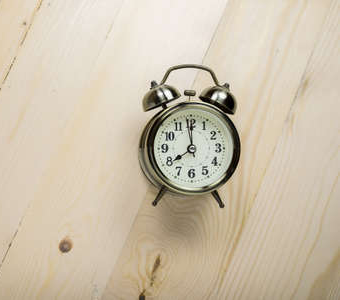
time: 7:59
